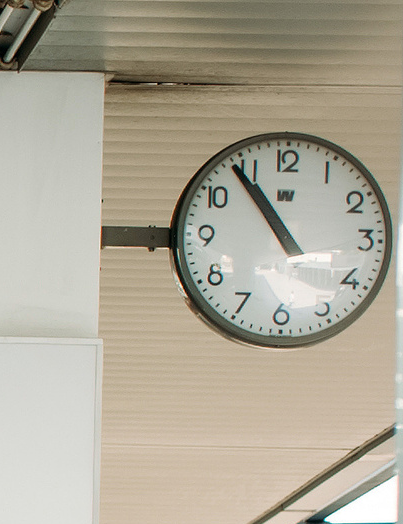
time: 10:54
